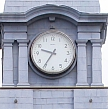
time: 9:35
